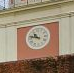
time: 10:47
